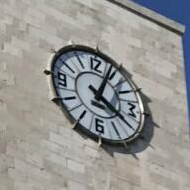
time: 4:04
